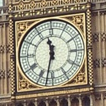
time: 11:32
